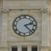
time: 2:22
